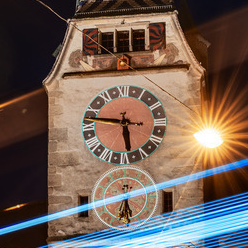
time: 5:45
